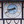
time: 8:40
